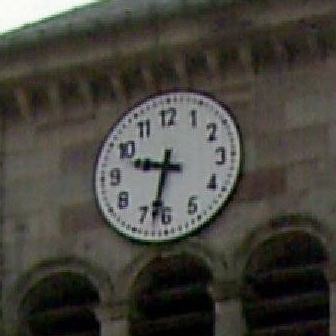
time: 9:32
